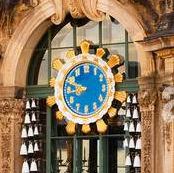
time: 8:47
